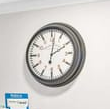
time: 2:01
